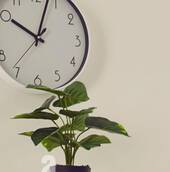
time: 10:03
